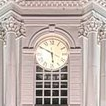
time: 5:49
